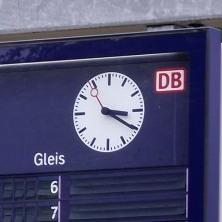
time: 3:20
